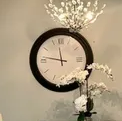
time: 11:46
